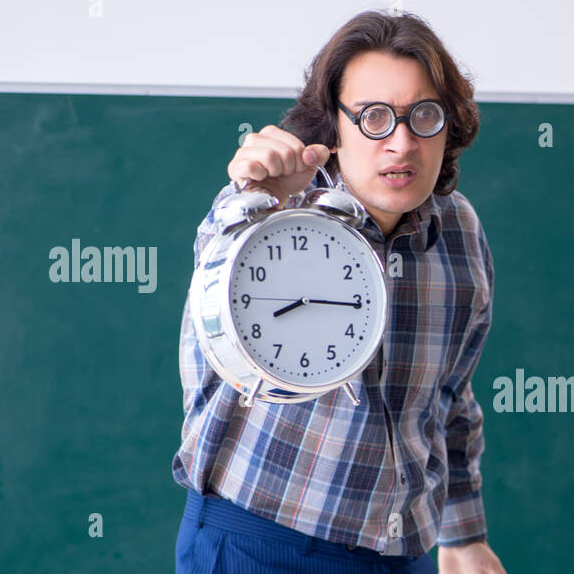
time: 8:15
